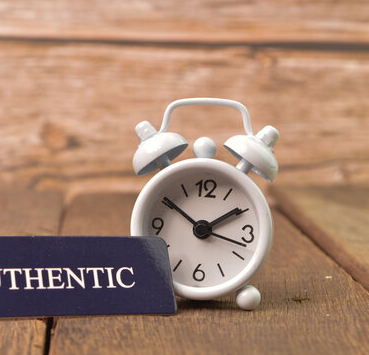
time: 1:50
